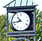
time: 10:43
